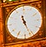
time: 11:26
